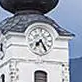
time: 7:25
